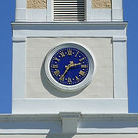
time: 2:35
